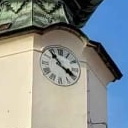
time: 3:53
